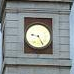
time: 9:25
